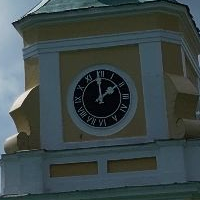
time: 1:59
